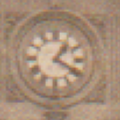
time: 1:20
